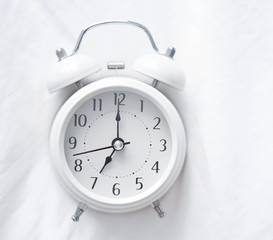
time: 7:00
